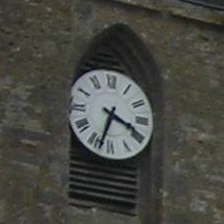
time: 3:33
